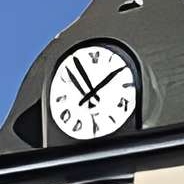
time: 1:54
